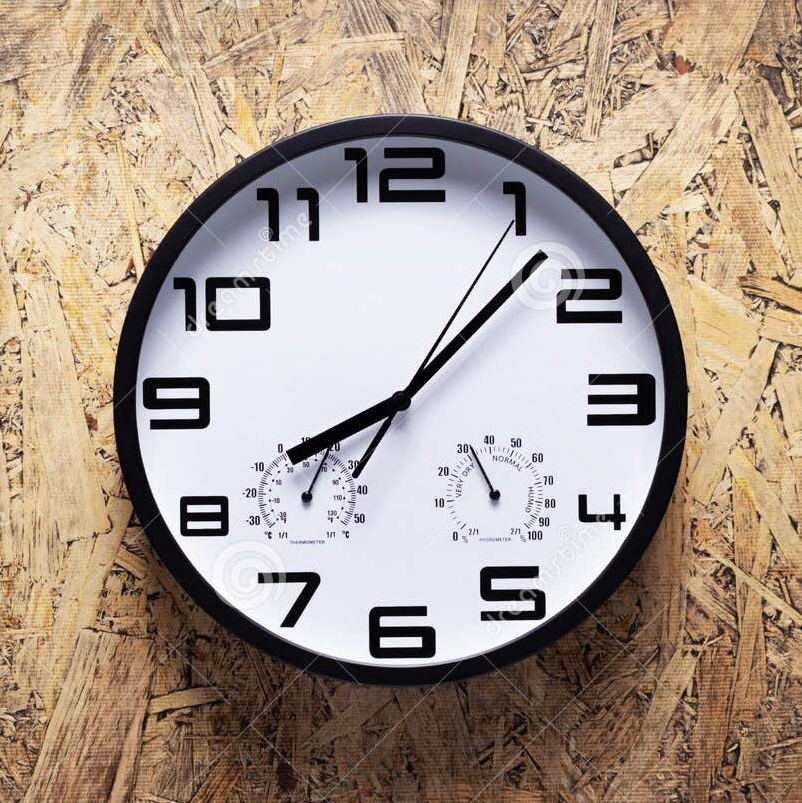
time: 8:07
